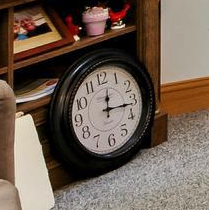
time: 12:16
